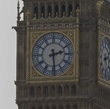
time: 2:29
